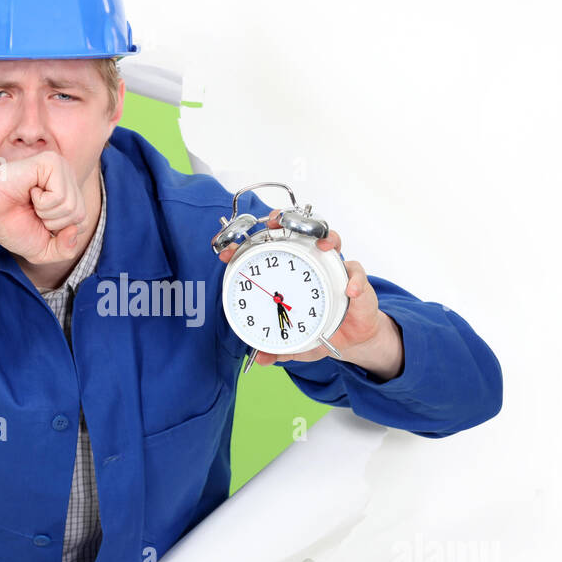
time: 5:30
